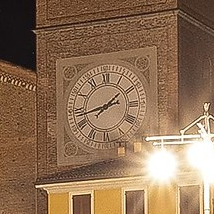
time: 1:42
